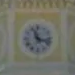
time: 11:17
